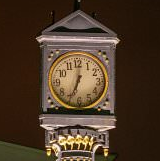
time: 12:34
